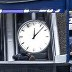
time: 12:07
